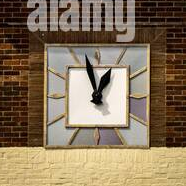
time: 12:57
